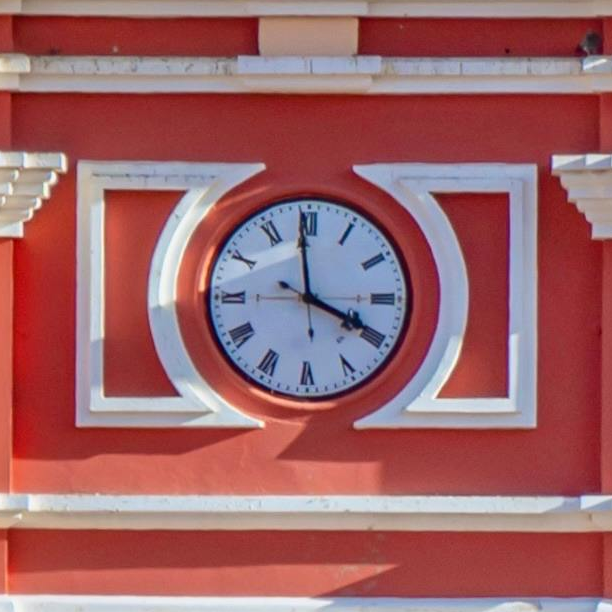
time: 3:58
